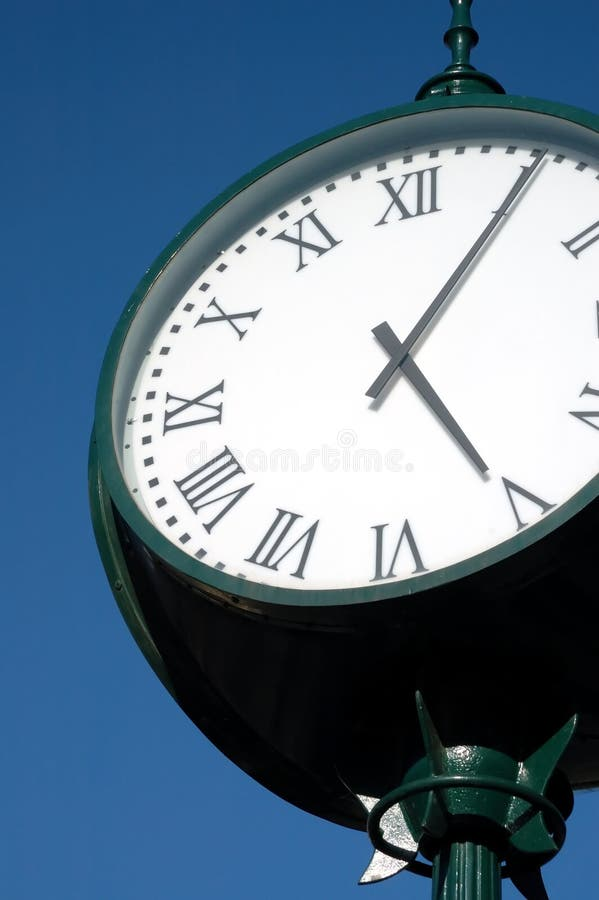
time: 5:05
